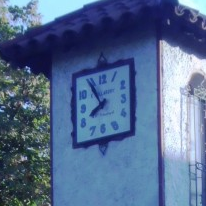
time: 7:54
